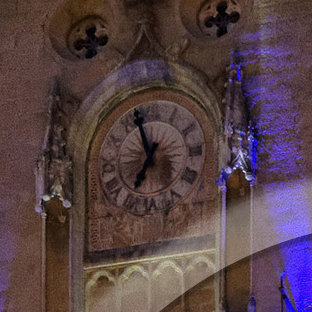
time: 6:56
